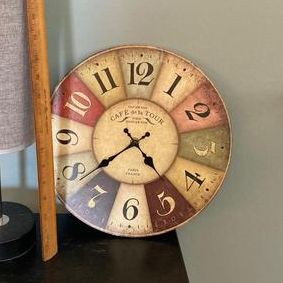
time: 4:38
